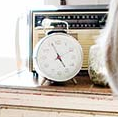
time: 4:56
